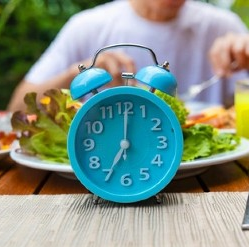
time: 7:00
